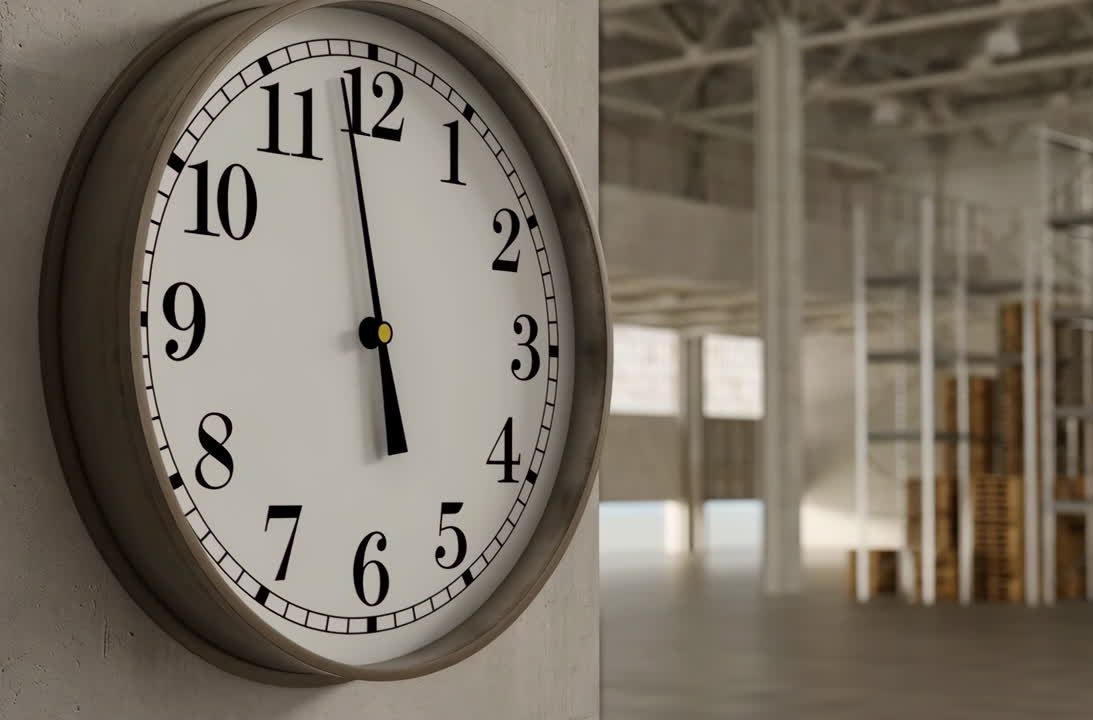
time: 5:58
